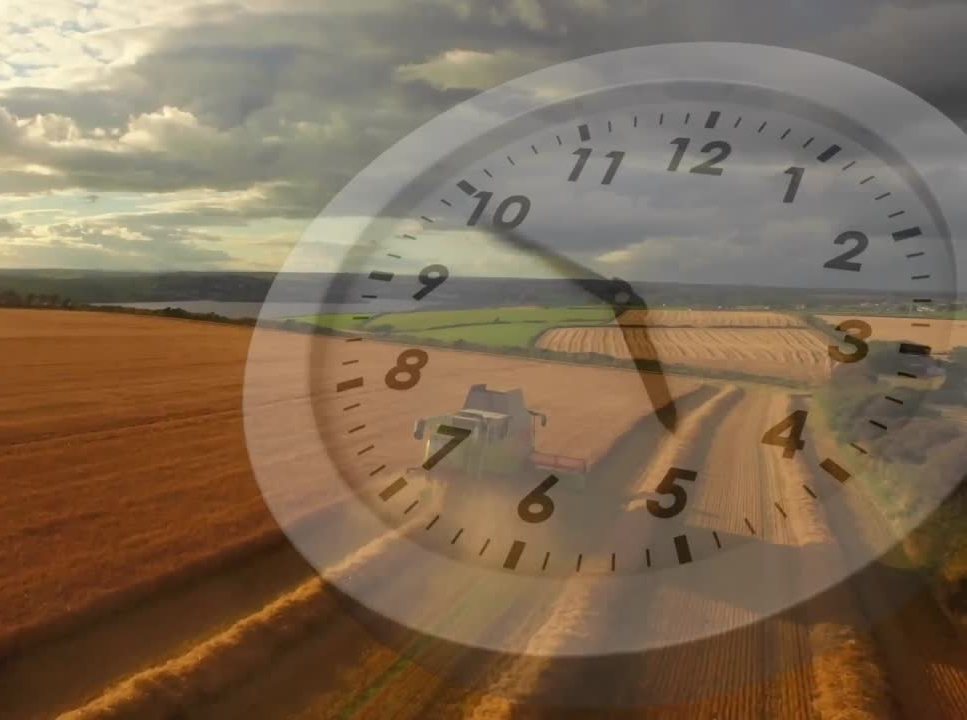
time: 4:49
